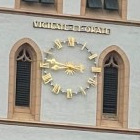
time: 8:47
